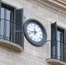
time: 11:42
